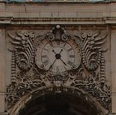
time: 4:35
